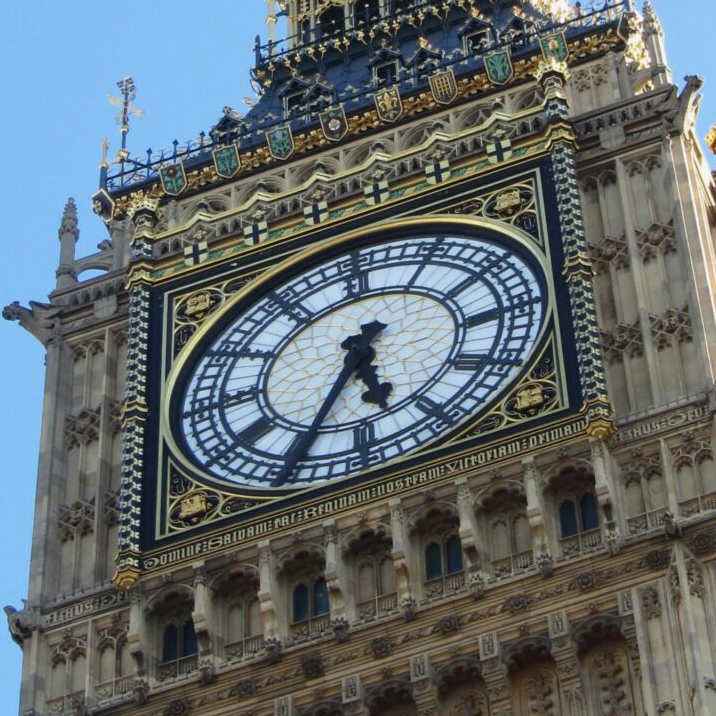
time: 5:34
